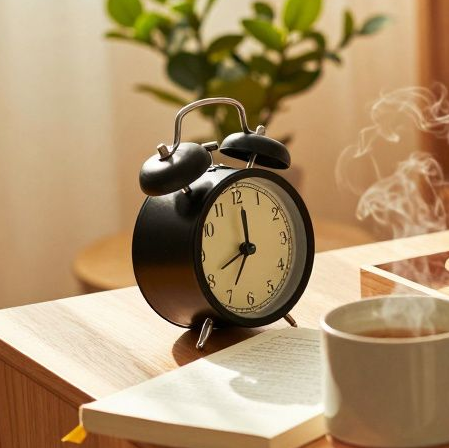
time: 8:01
